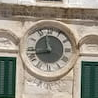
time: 11:42
